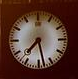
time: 7:28
